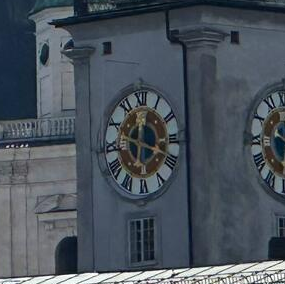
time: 12:18
